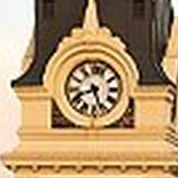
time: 8:26
